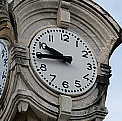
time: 9:44
